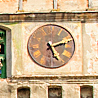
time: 5:11
